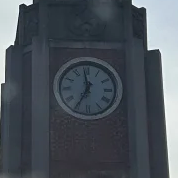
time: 6:58
